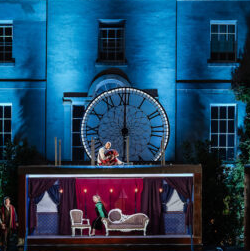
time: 6:00
